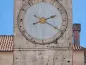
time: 2:20
